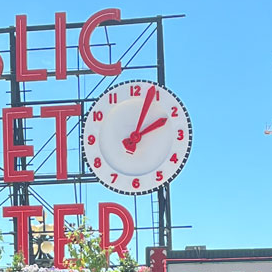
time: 2:03
